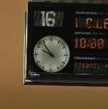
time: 9:53
